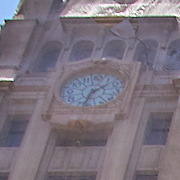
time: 1:33
